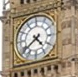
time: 4:38
